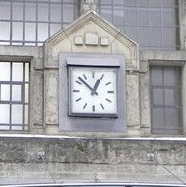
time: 12:52
